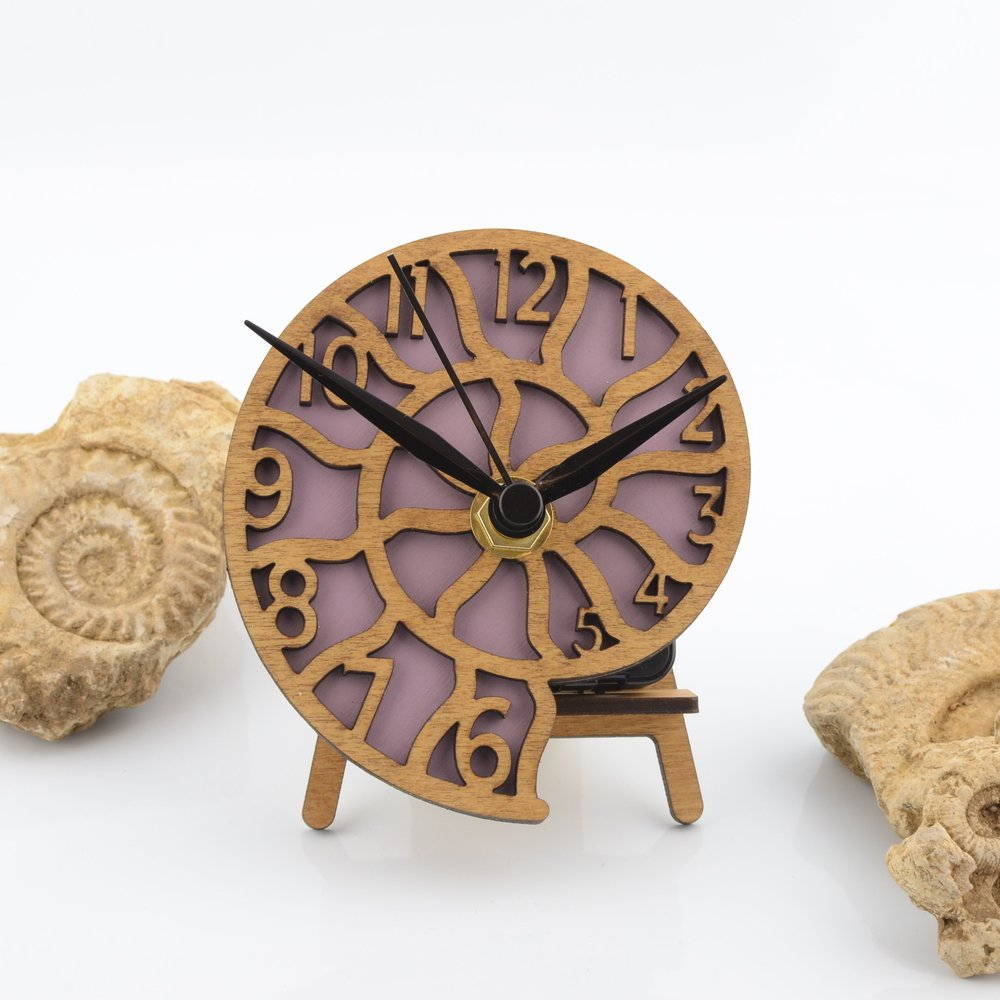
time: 1:49
